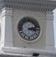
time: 3:12
